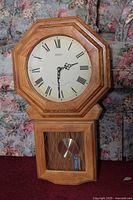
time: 2:30
